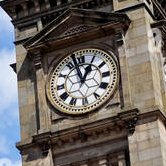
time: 12:57
